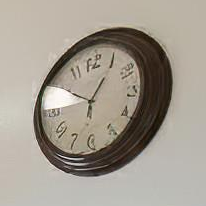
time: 12:50
